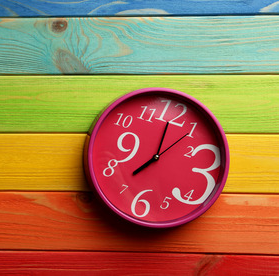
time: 7:00
